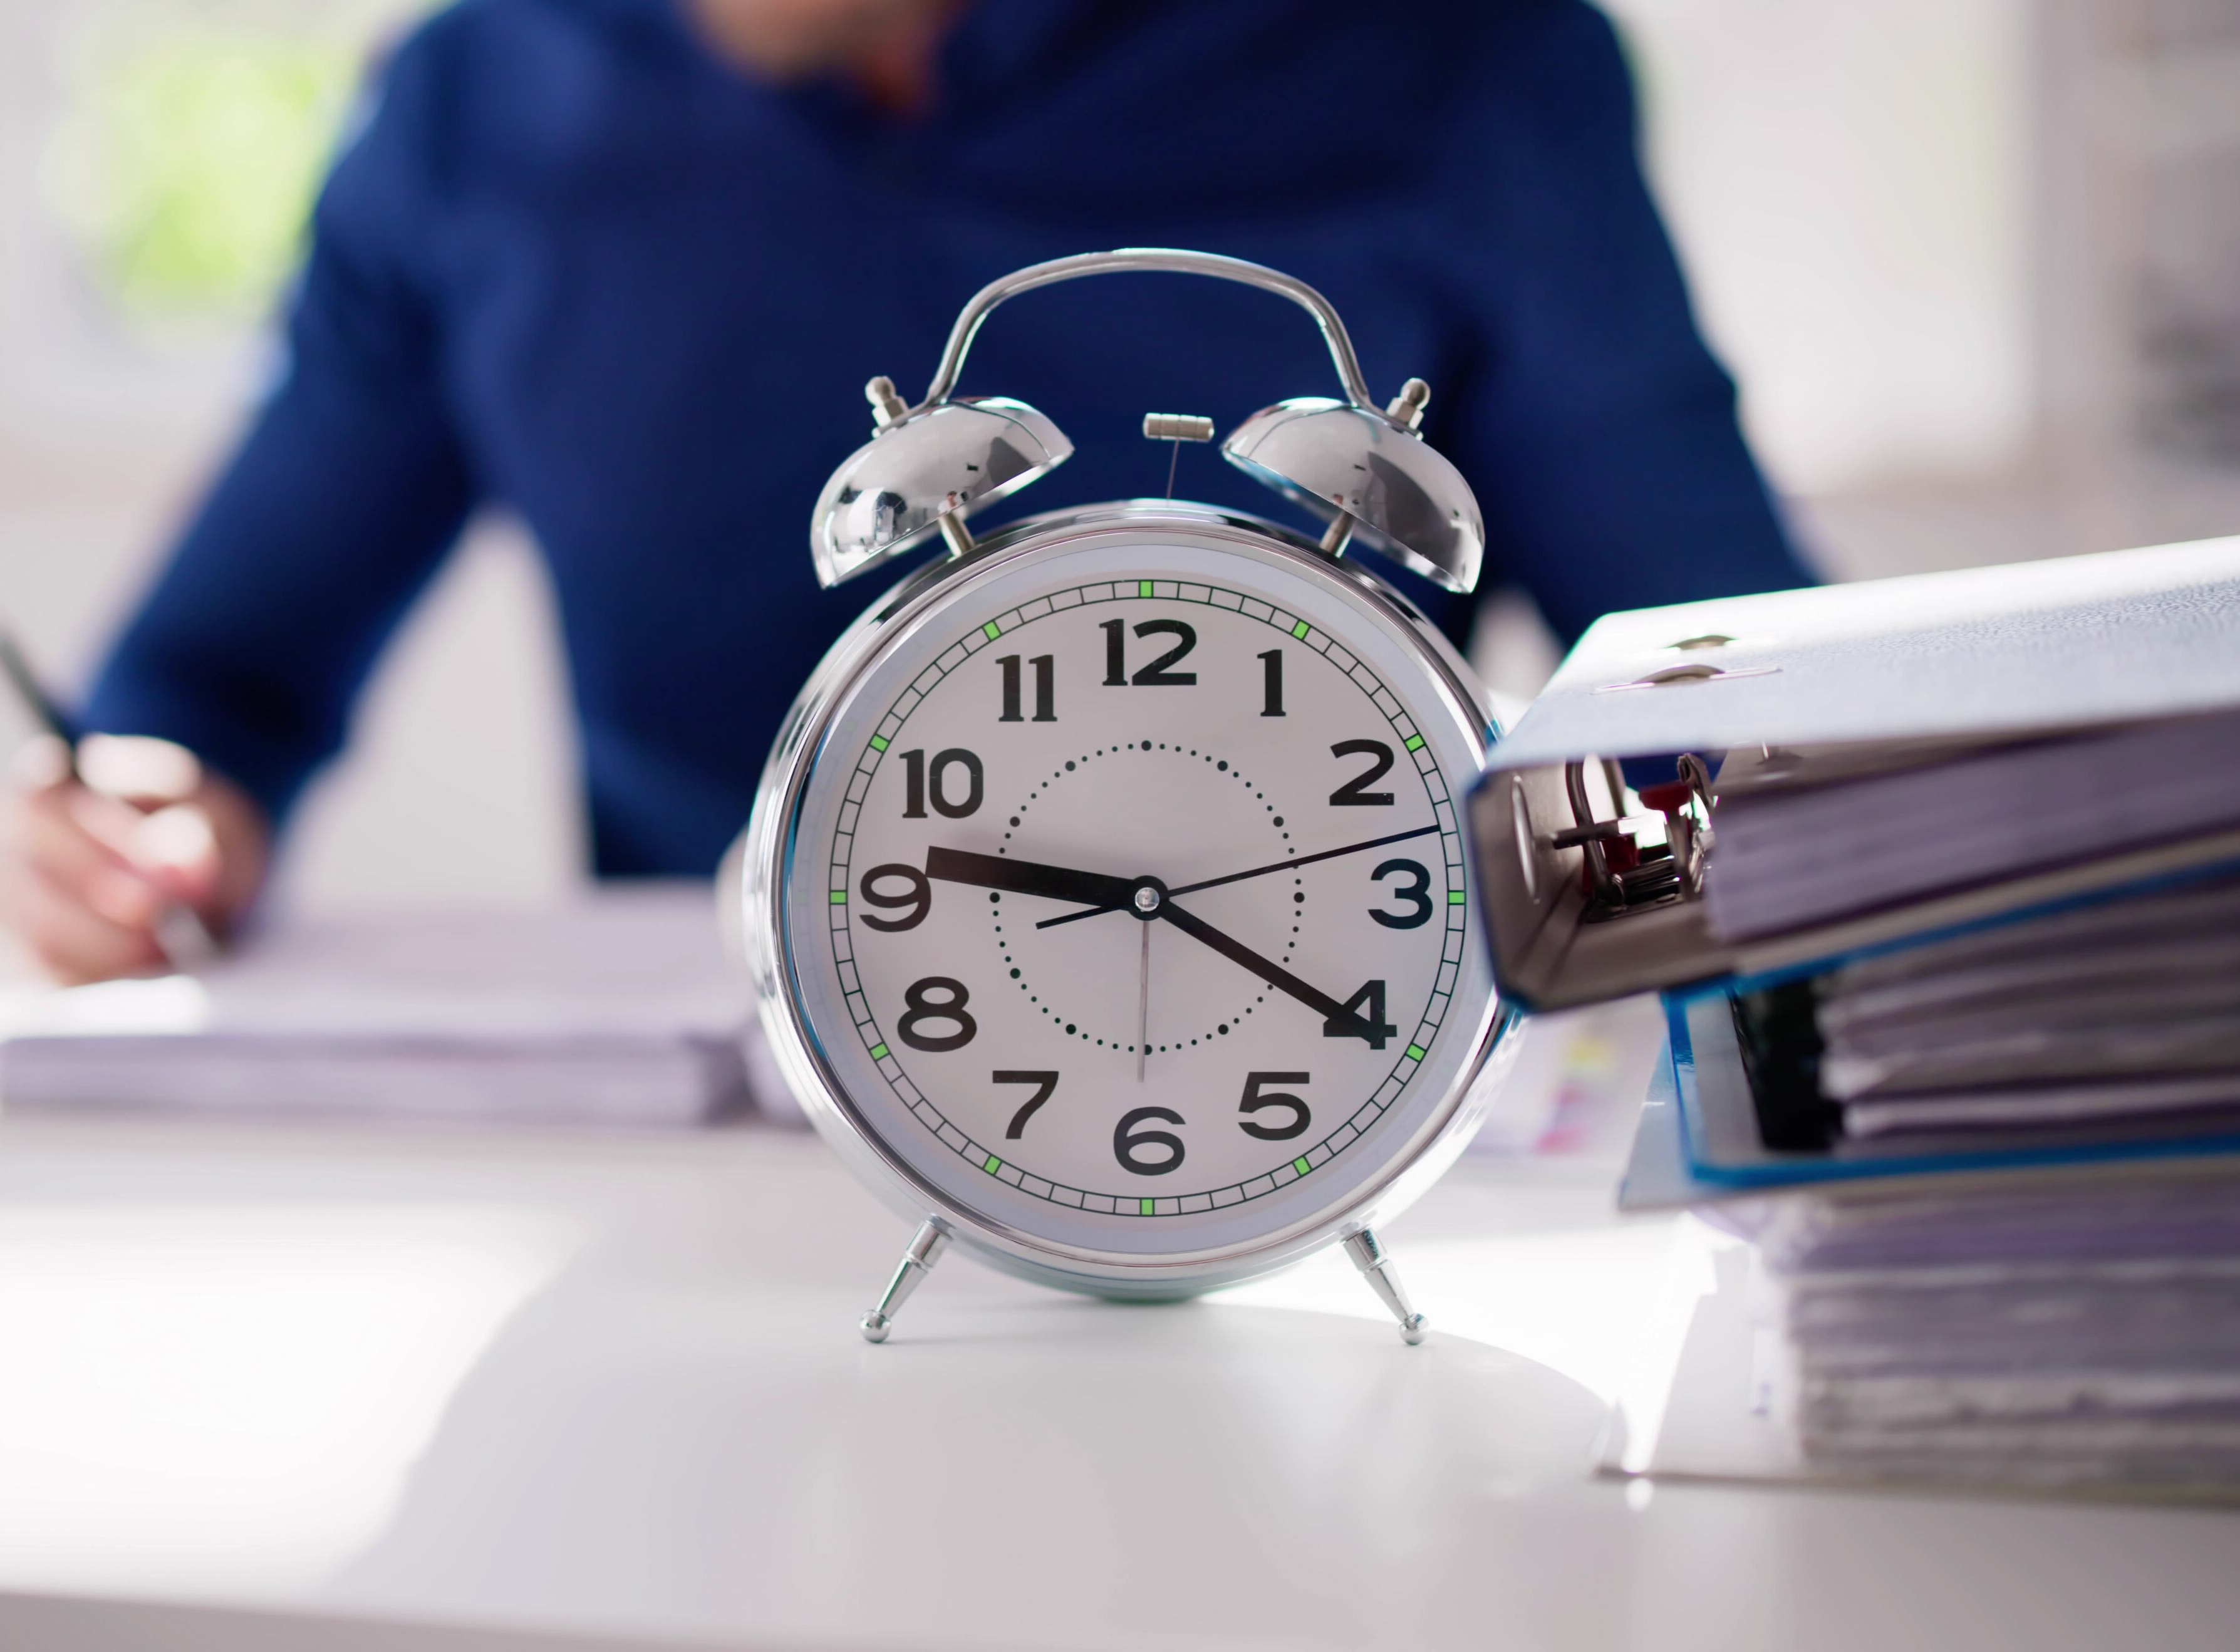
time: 9:20
